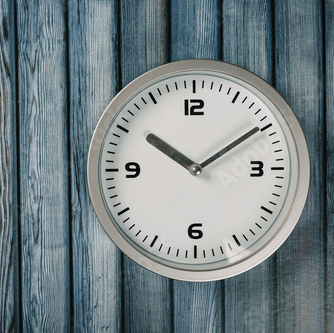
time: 10:09
